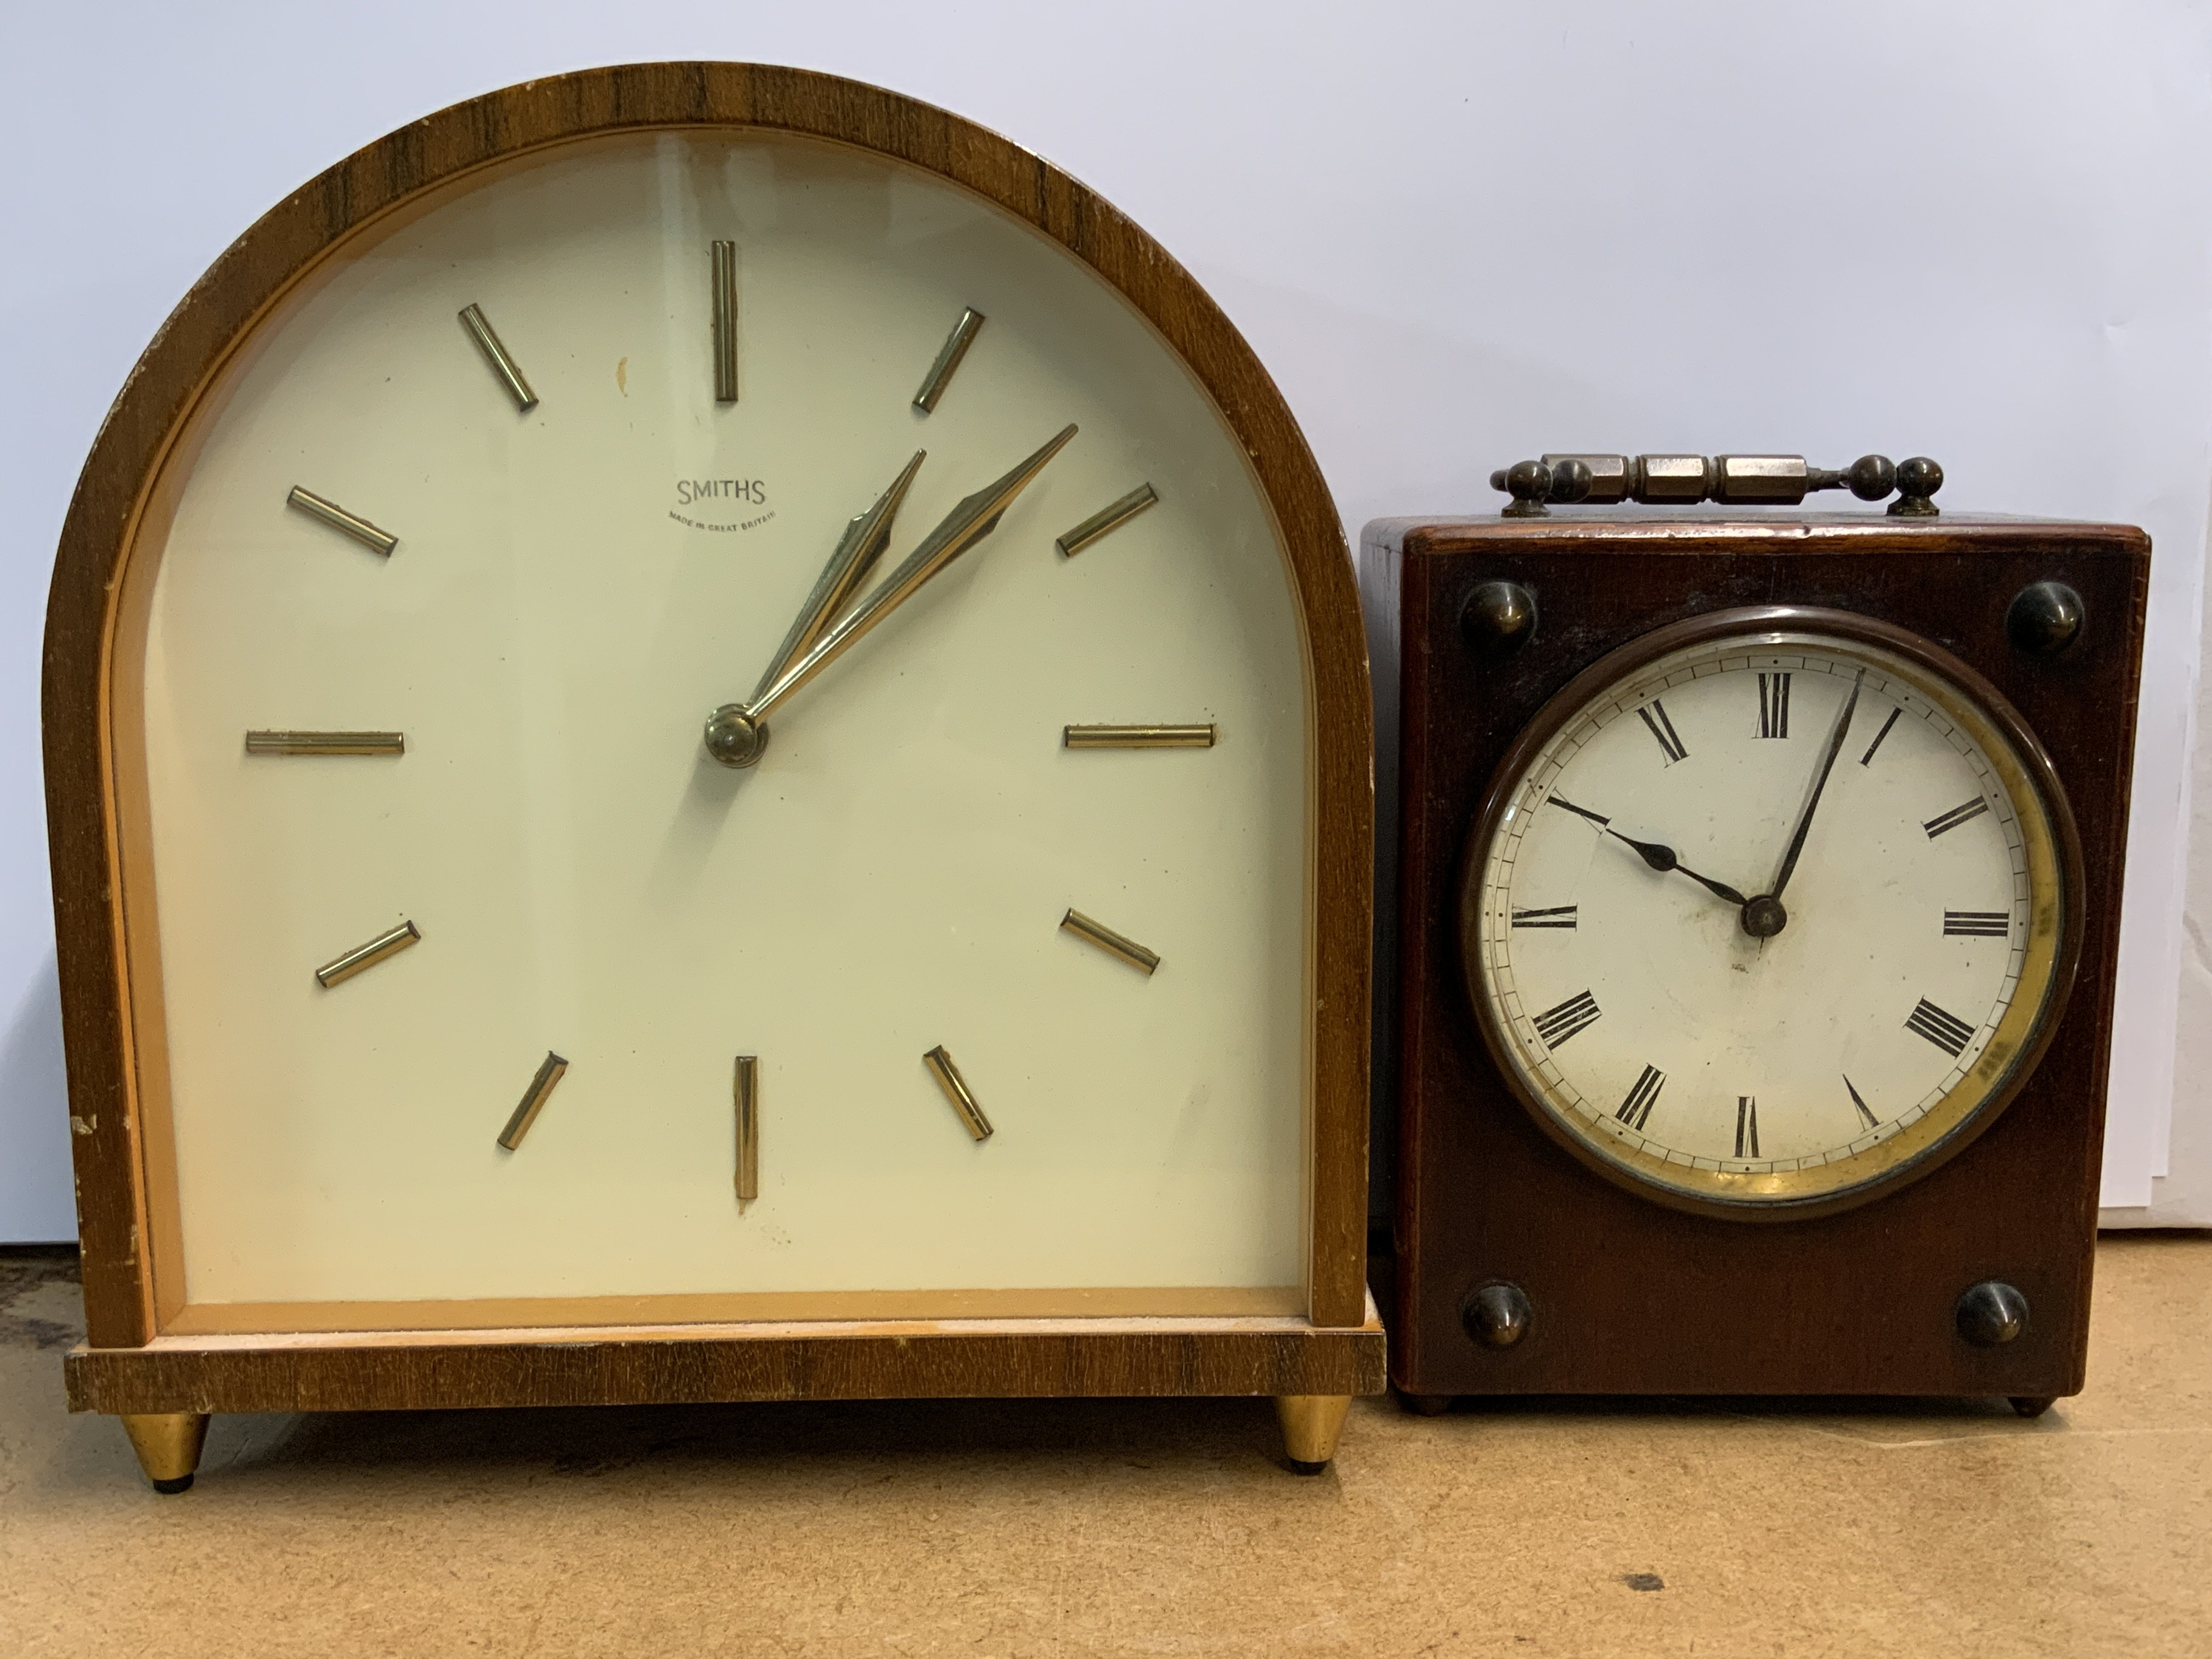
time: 1:08
